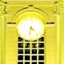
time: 4:32
